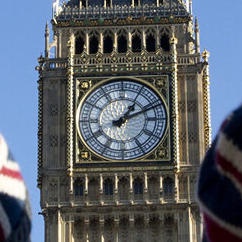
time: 1:11
